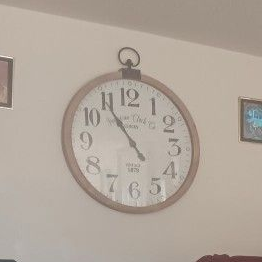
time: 10:54
